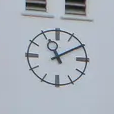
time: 11:09
